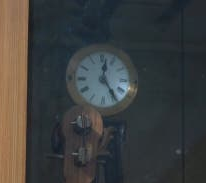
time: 12:24
